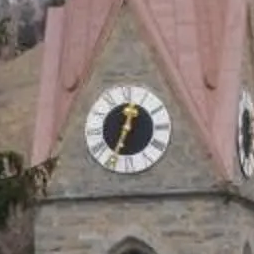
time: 12:34
